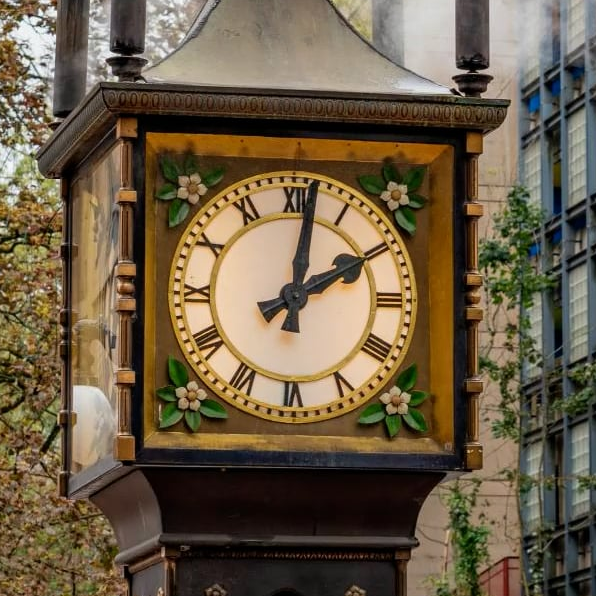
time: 2:01
